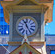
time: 11:25
